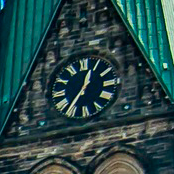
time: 12:36
